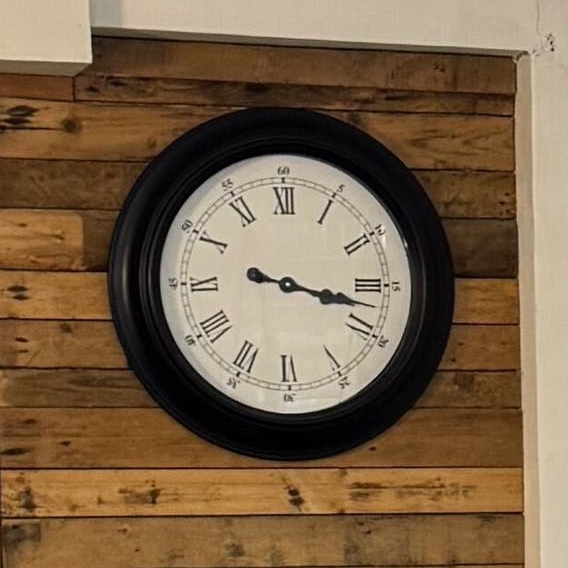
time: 3:17
